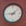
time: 9:08
